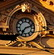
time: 7:12
